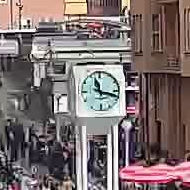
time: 11:17
